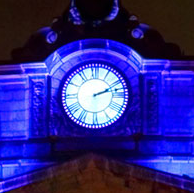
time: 2:12
